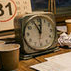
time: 11:01
